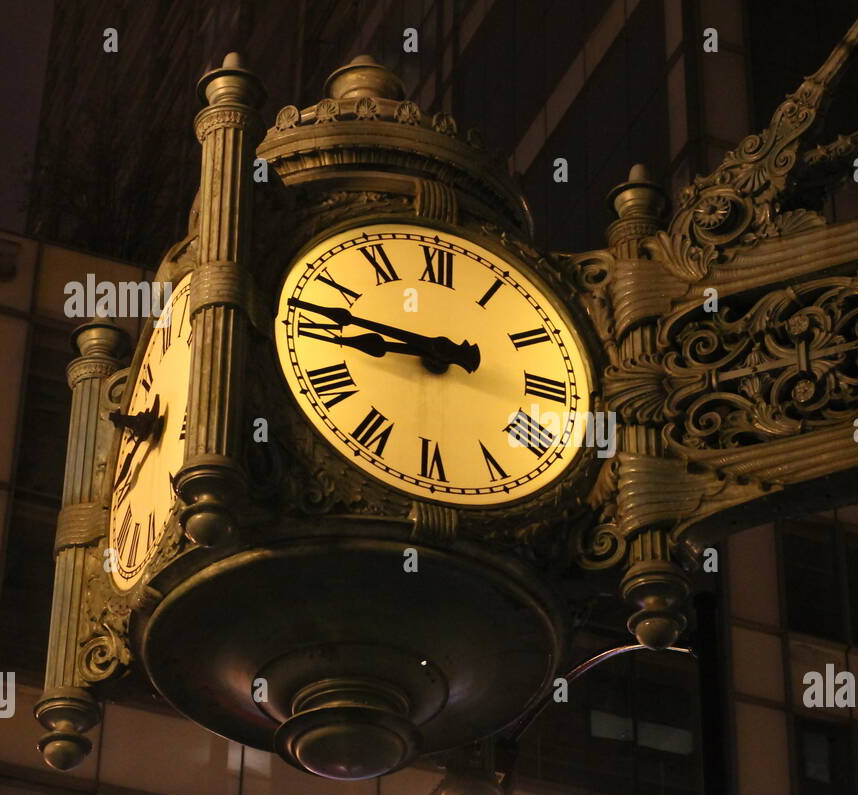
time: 8:46
